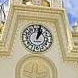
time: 1:02
